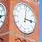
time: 3:02
